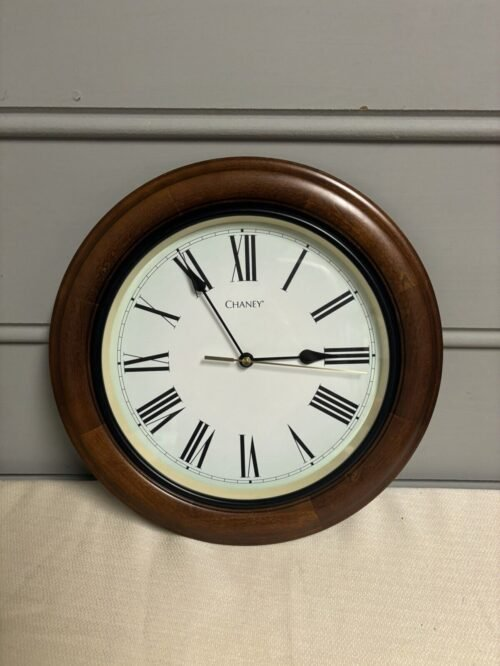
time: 2:54
